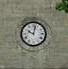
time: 10:02
